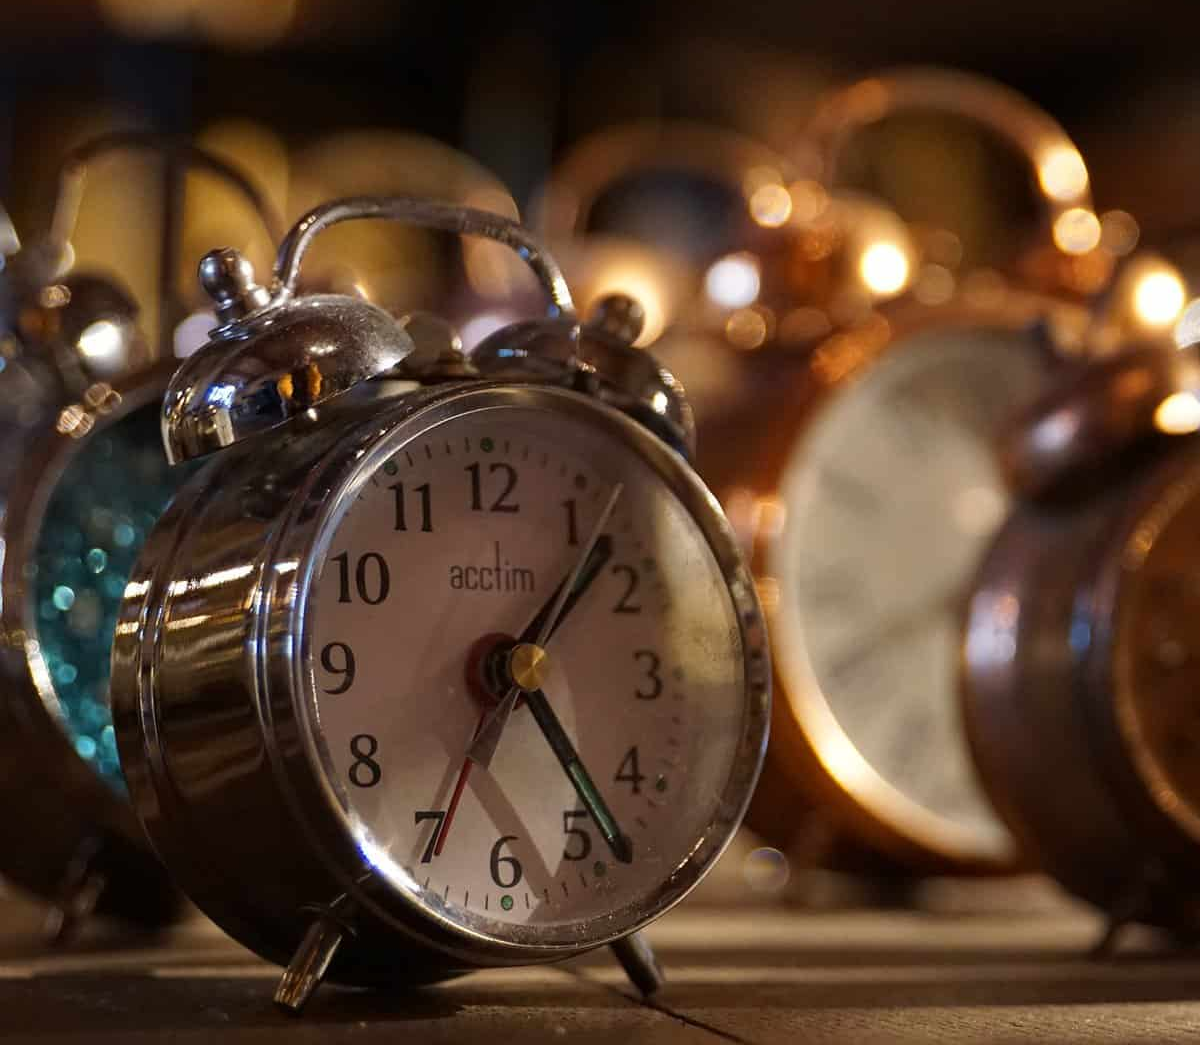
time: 1:23
